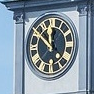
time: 11:51
